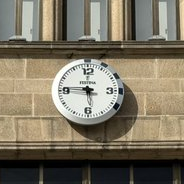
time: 5:45
